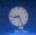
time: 8:25
